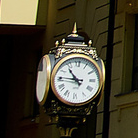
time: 10:45
